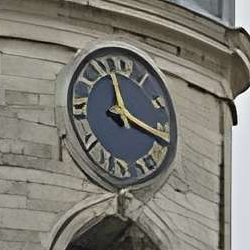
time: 11:18
